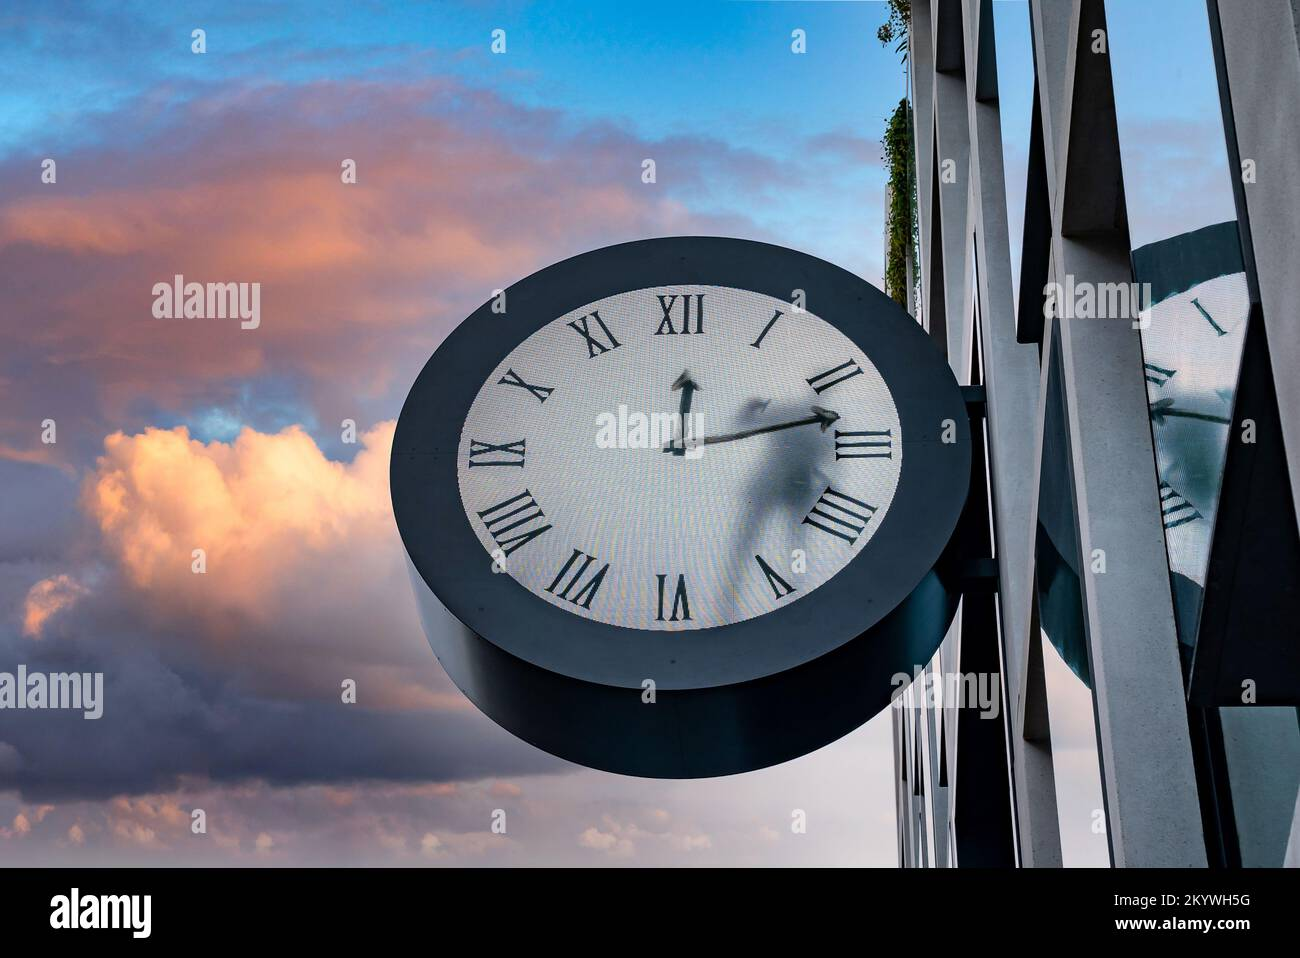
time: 12:12
